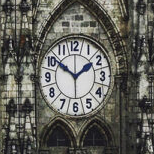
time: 1:50
